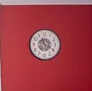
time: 11:19
